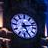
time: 5:12
